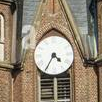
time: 4:35
